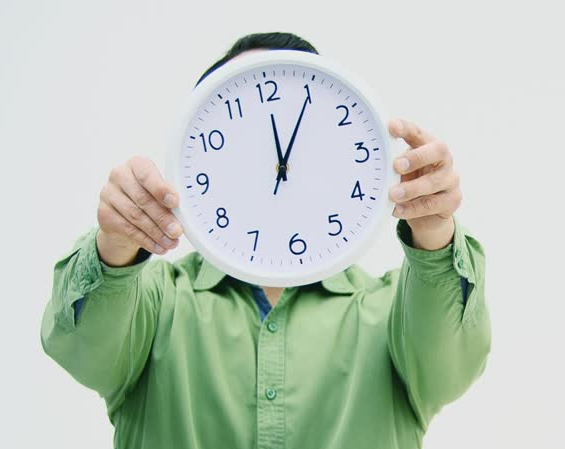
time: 12:05
